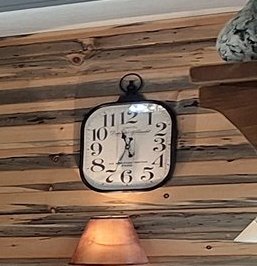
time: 11:34
